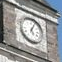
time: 5:04
